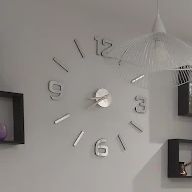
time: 8:40
